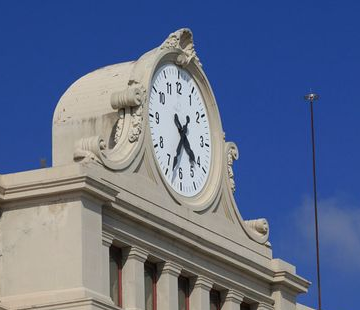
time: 4:33
